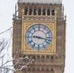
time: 9:17
